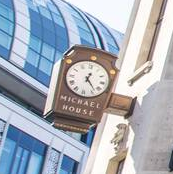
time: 12:23
